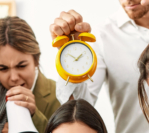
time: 1:52
